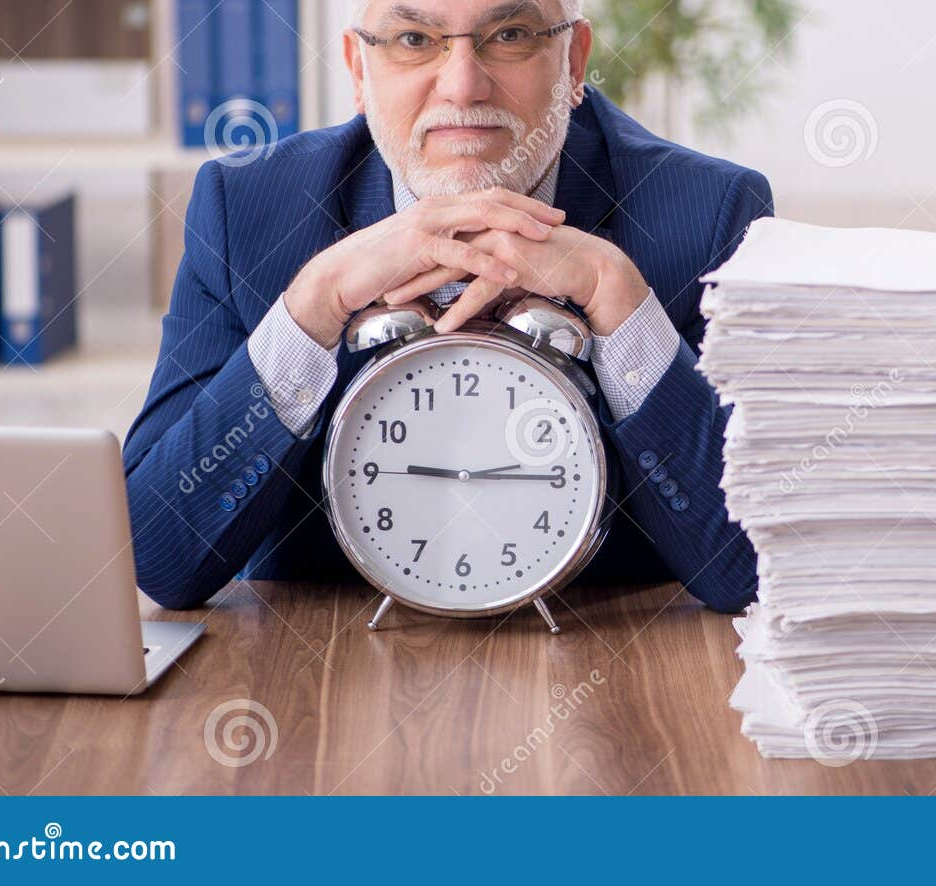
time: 9:15
